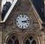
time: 3:12
